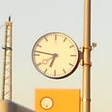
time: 6:46
